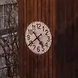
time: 4:39
